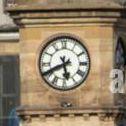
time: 5:40
